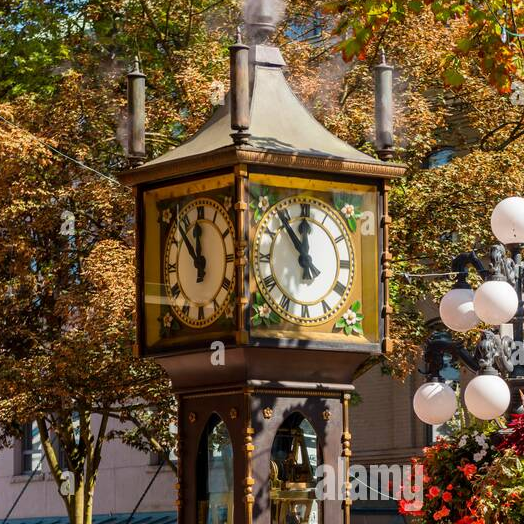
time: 11:53
